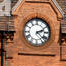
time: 2:22
